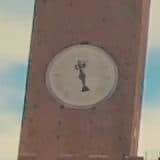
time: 5:27
